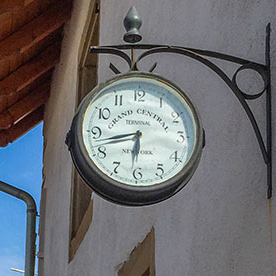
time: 8:31
